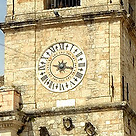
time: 7:16
